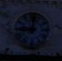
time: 9:01
